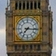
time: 7:15
